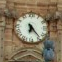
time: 6:23
